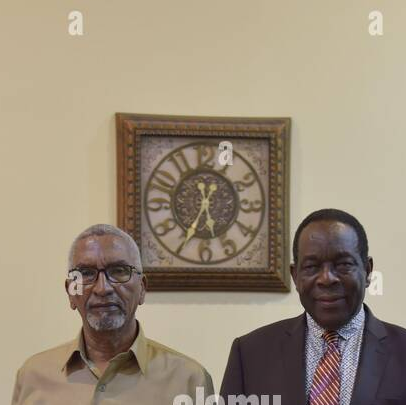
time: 5:34
